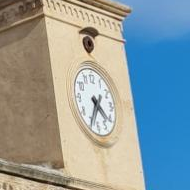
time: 4:35
